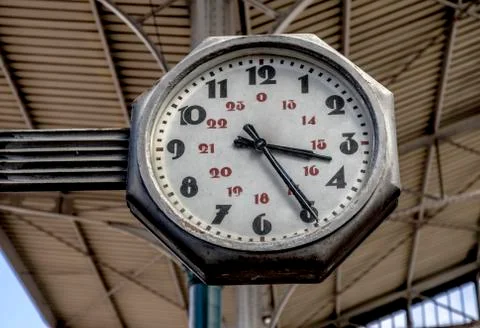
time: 3:24
